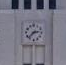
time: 2:38
